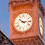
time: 10:14
